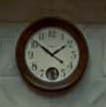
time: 1:51
